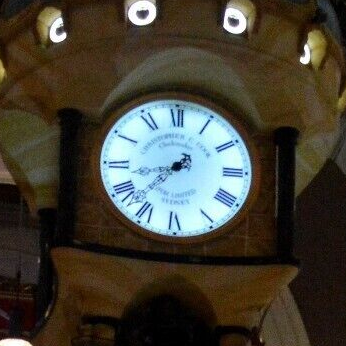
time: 8:37
